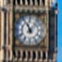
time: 11:07
